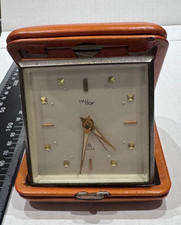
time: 4:31
